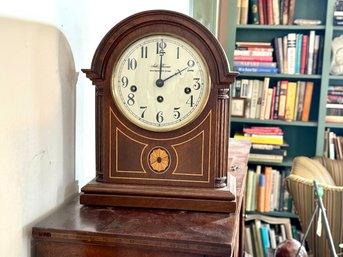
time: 2:00
